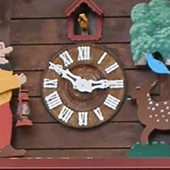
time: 2:50
